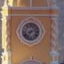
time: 7:12
